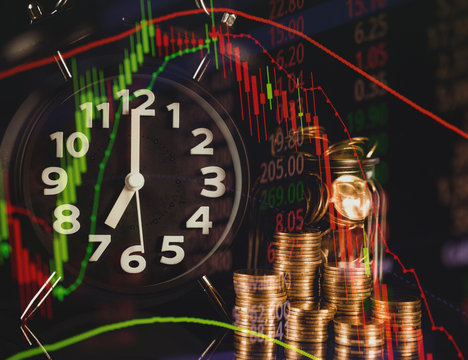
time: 7:00
